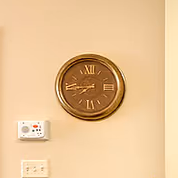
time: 7:43
